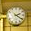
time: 2:21
